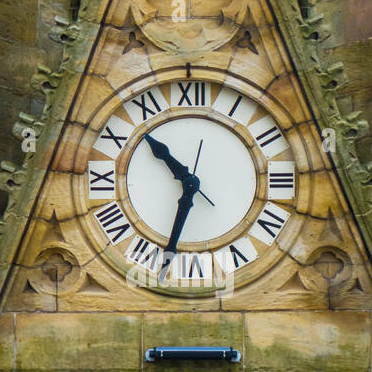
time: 10:32
